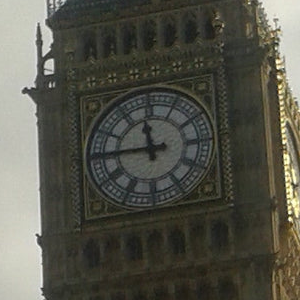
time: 11:45
